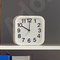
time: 10:00
